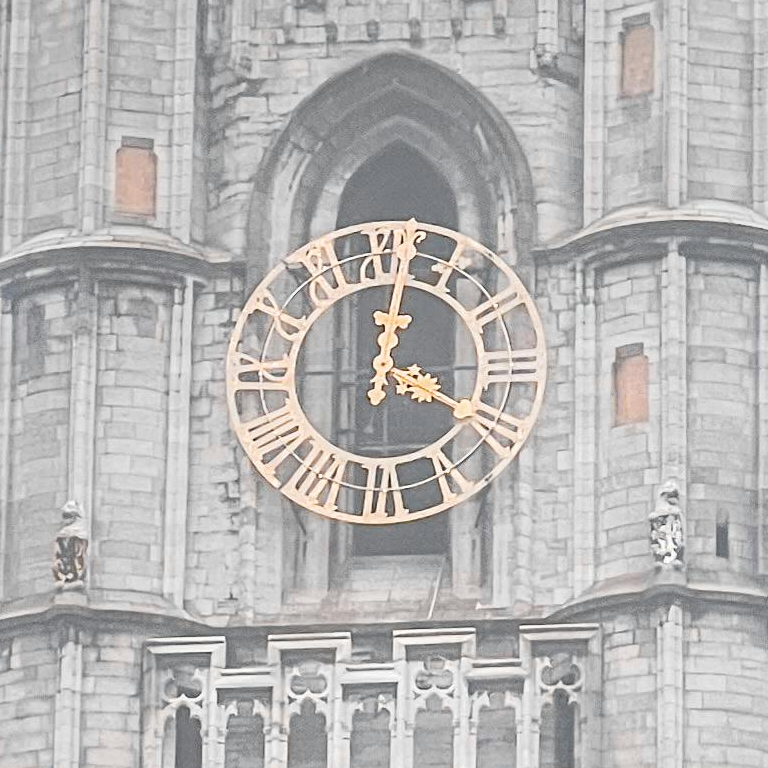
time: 4:01
